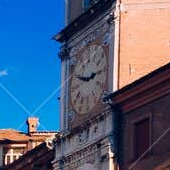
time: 2:48
